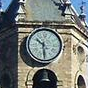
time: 10:29
